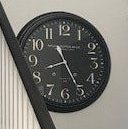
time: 11:25
